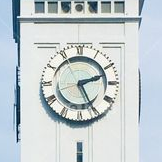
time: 2:25
